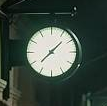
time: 1:37
